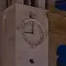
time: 9:01
